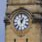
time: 12:59
